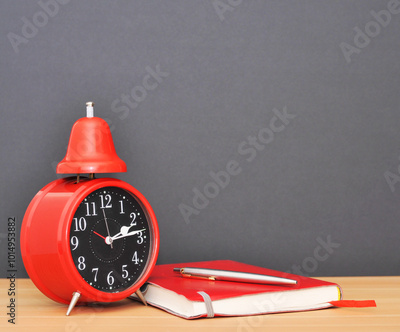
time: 2:13
